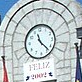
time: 11:23
